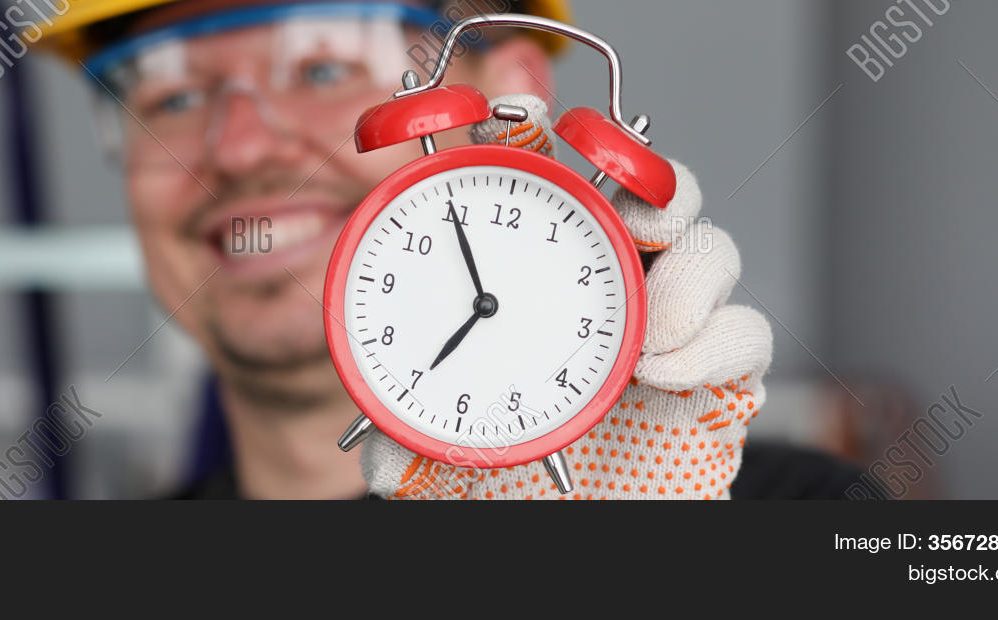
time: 6:55
